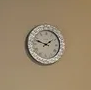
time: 1:47
